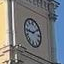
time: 9:10
